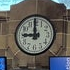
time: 8:59
